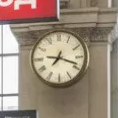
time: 7:18
